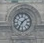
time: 7:08
